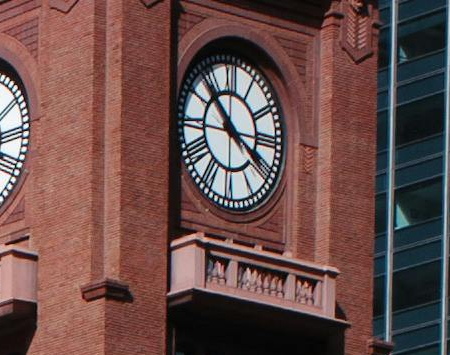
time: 3:52
